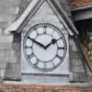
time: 1:49
